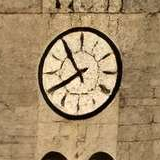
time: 7:54
